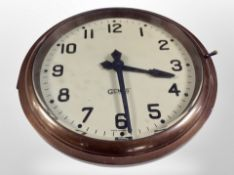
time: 3:29
